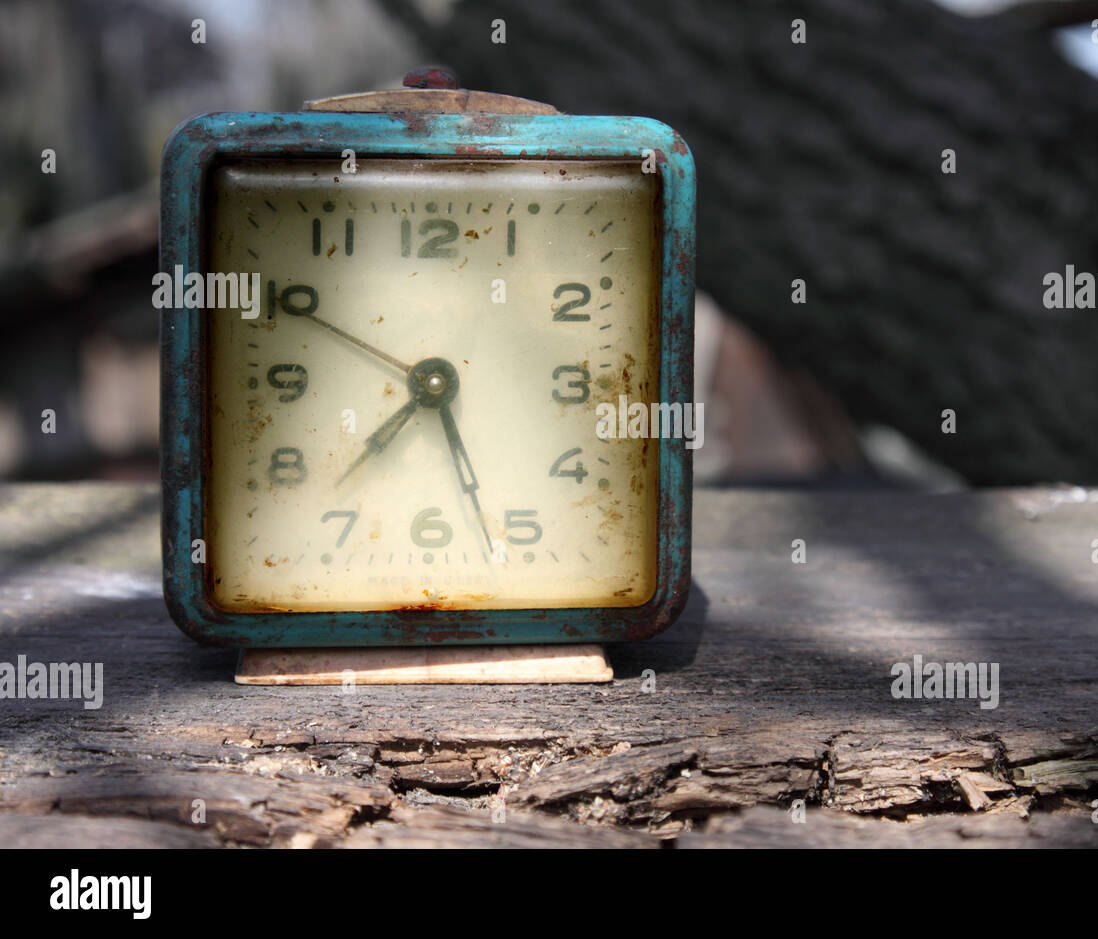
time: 7:26
